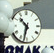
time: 10:32
